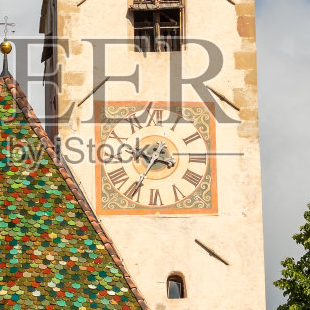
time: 3:34
